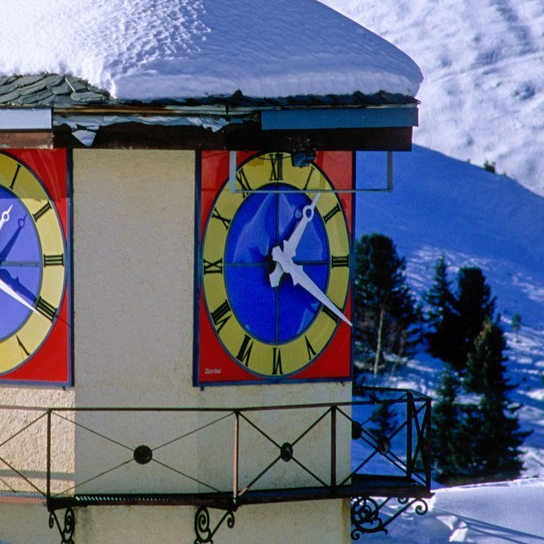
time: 1:20
